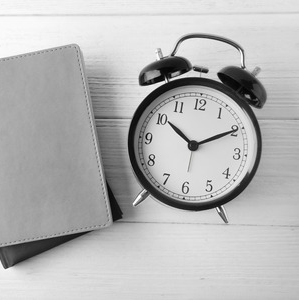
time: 10:10
